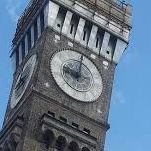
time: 9:02
